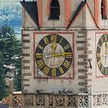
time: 12:13
